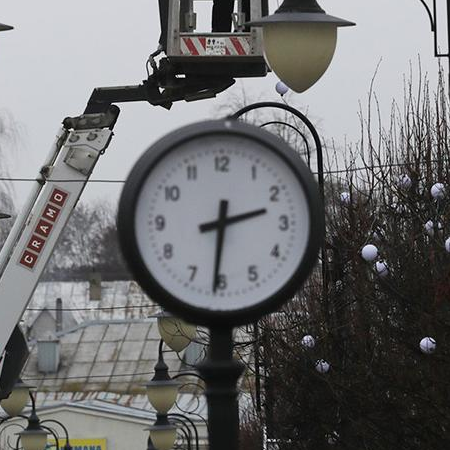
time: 2:31
